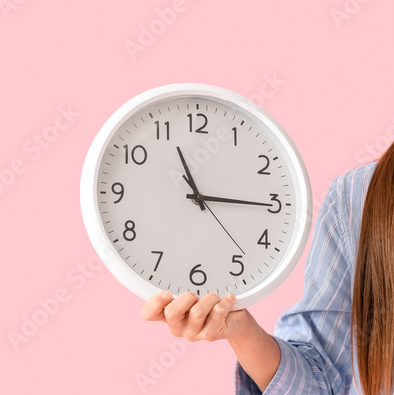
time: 11:15
